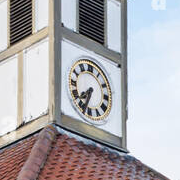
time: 7:33
